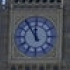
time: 11:54
